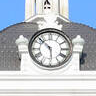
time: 5:52
